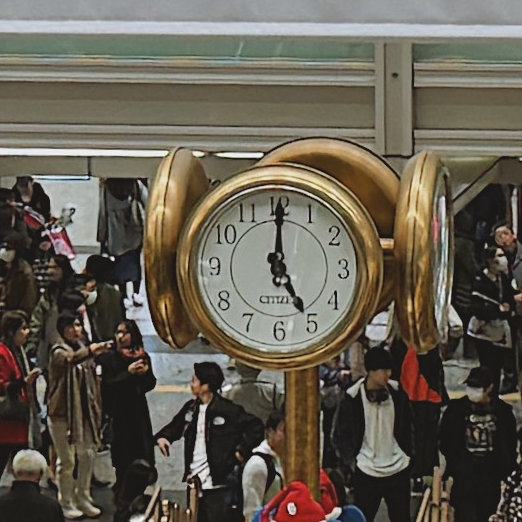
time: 5:00
